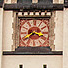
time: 3:40
